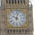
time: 10:02
